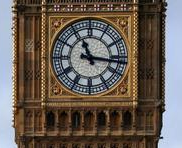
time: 11:16
